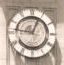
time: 12:46
